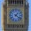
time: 1:21
